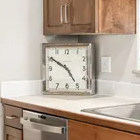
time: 4:50
